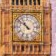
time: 10:51
